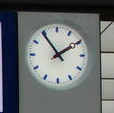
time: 1:54
